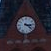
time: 3:22
